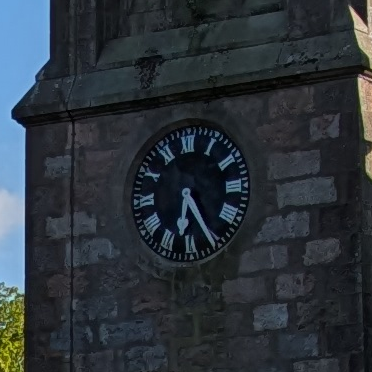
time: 6:25
